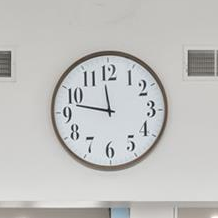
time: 11:46
